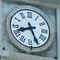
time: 8:26
